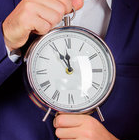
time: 11:55
